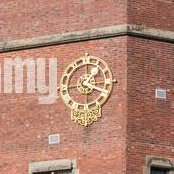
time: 1:18
